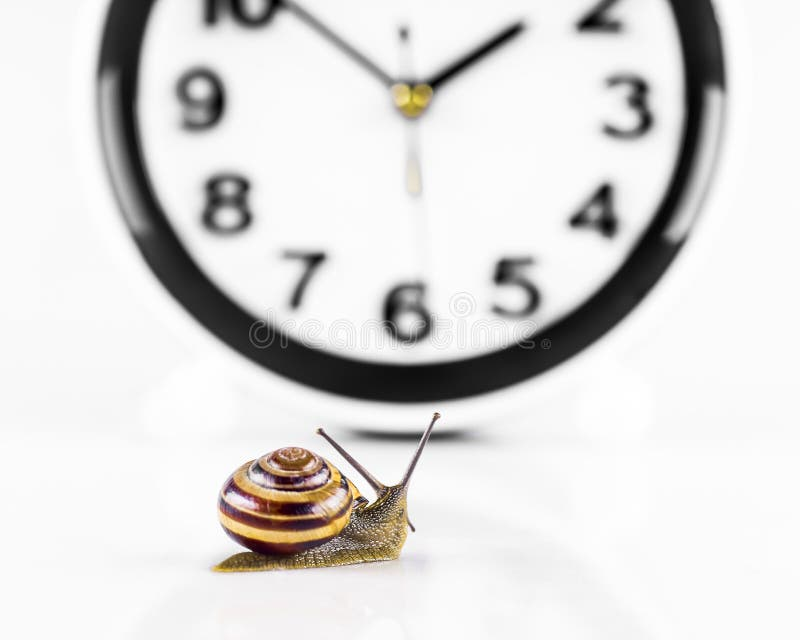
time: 1:51
